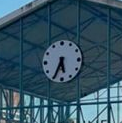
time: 5:34
